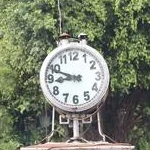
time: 8:48
